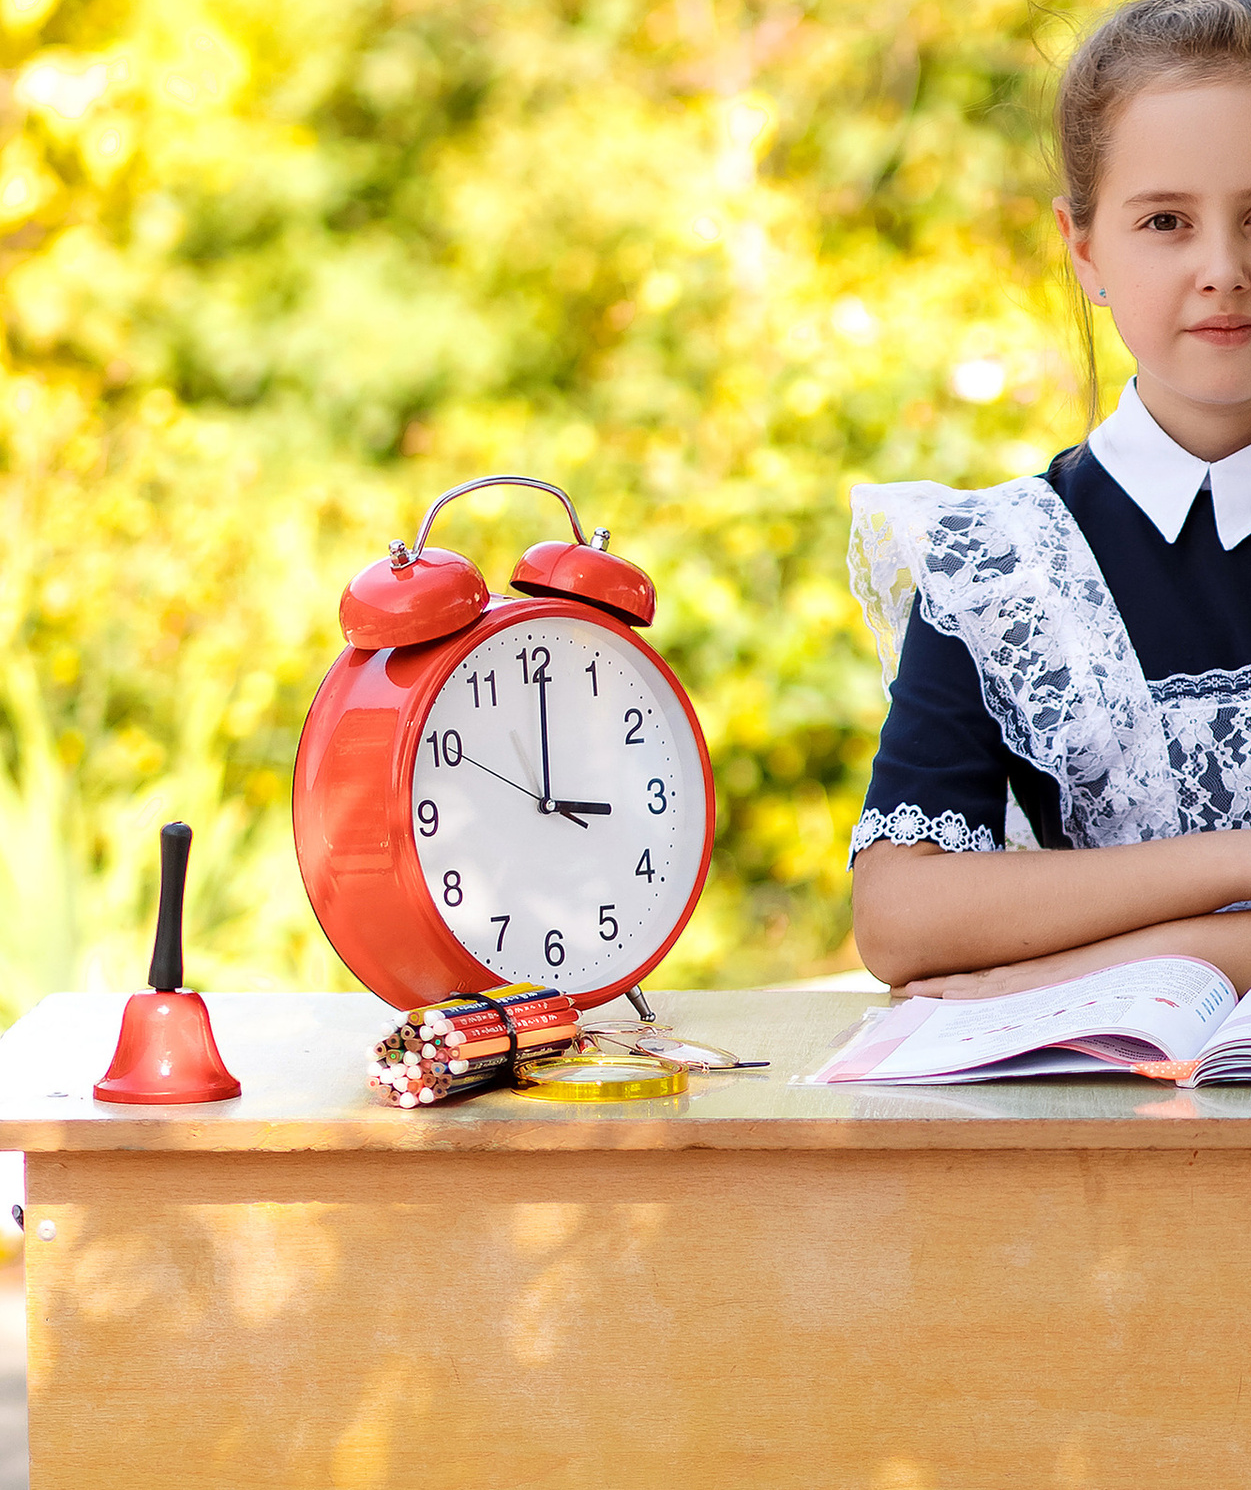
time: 3:00
